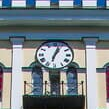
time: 1:02
